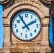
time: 1:54
